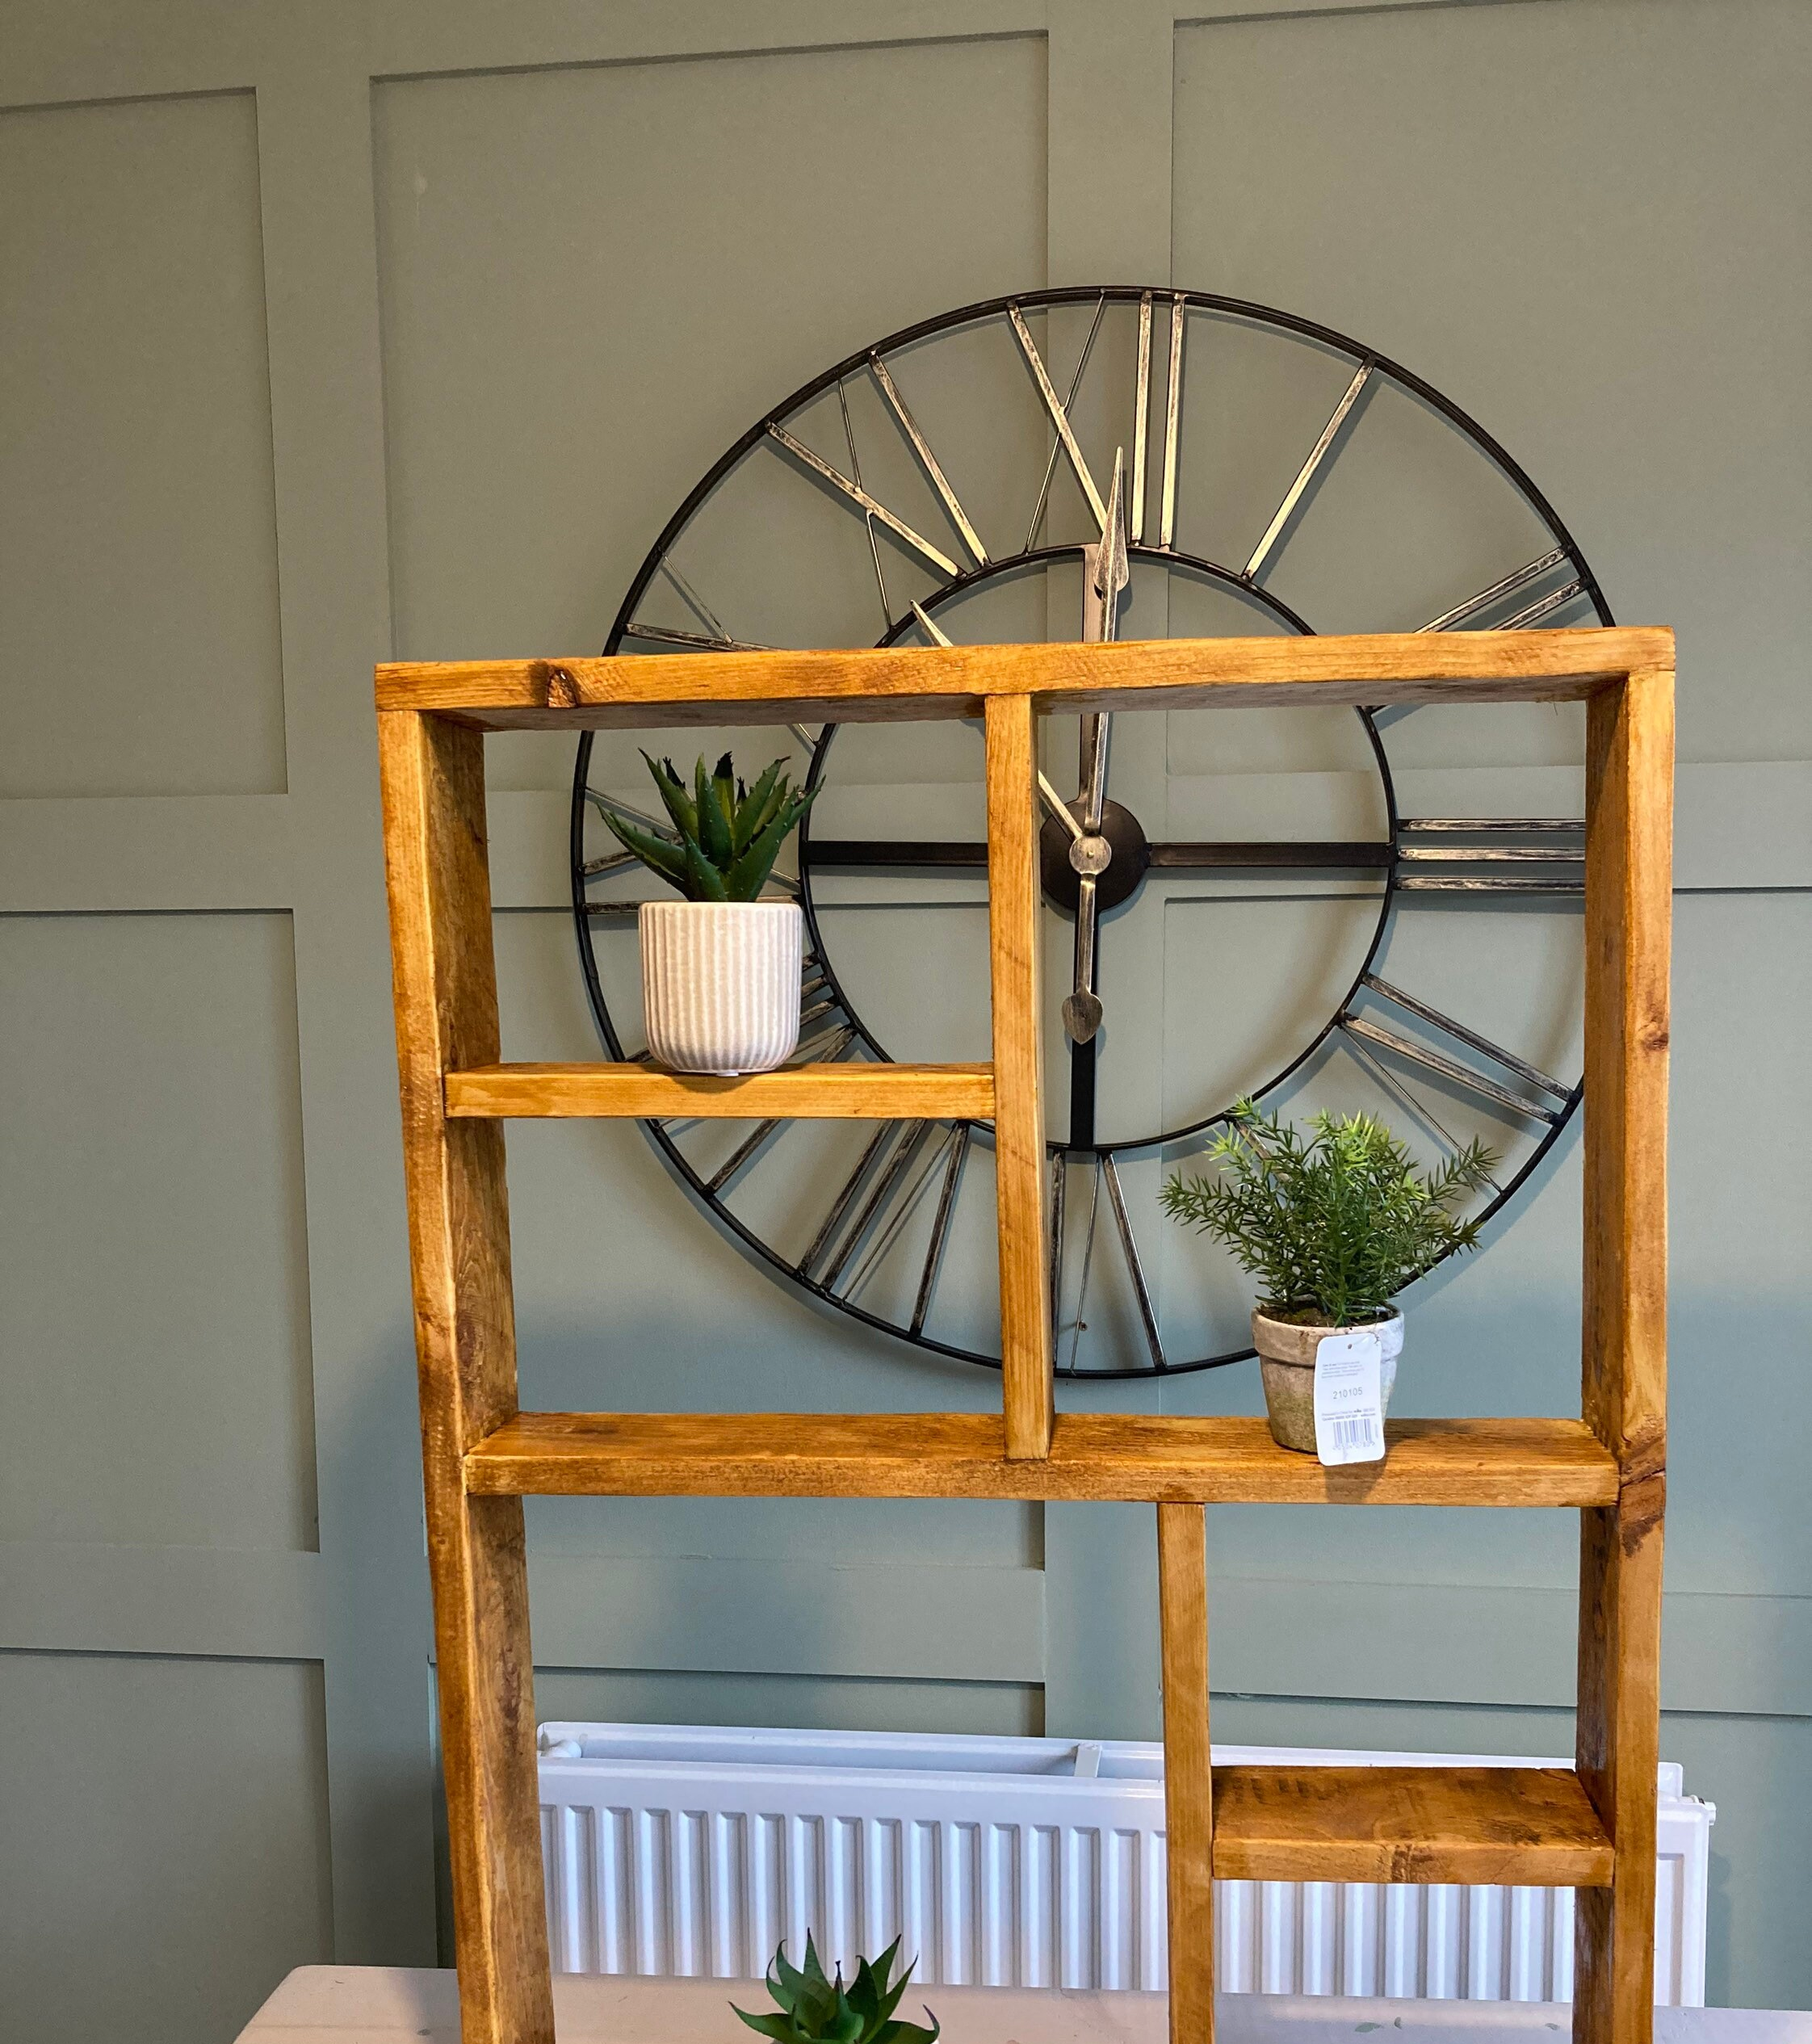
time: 9:14
